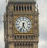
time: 5:33
